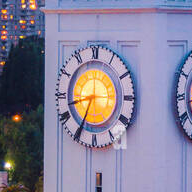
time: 8:34
